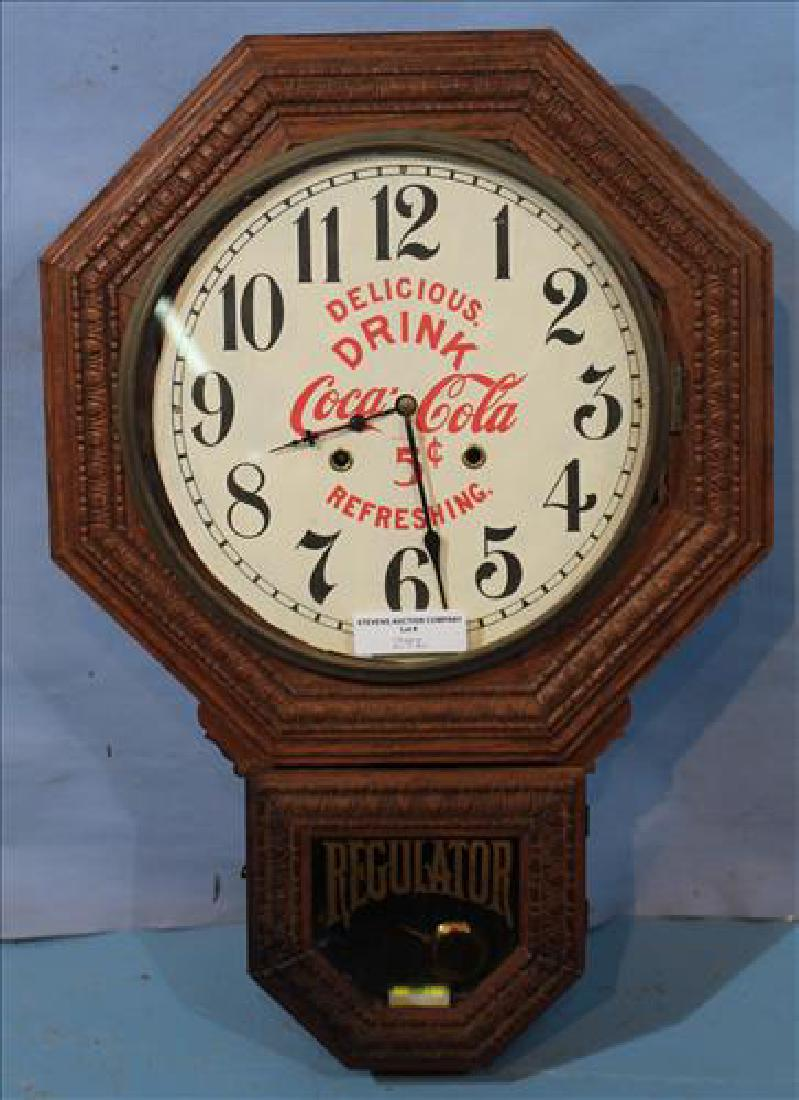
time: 8:28
